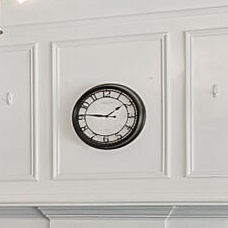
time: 1:46
